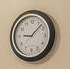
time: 9:07
